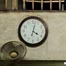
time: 4:02
